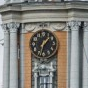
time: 1:32
